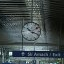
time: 10:18
